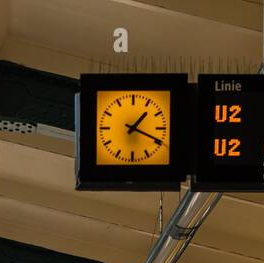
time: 1:19
